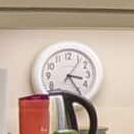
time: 3:24
